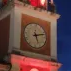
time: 5:12
